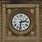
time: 2:31
